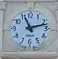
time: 11:12
